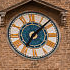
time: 7:08
